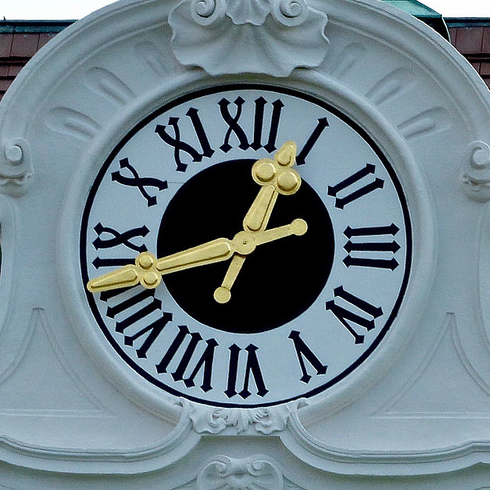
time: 12:42
